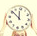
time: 11:51
